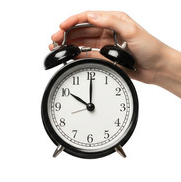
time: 10:00
